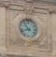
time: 10:42
